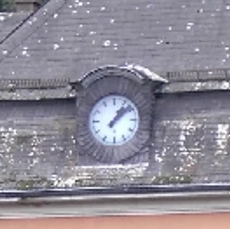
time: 1:08
